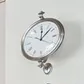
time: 12:07
